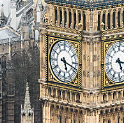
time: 5:18
